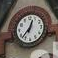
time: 12:37
